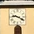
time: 9:20
